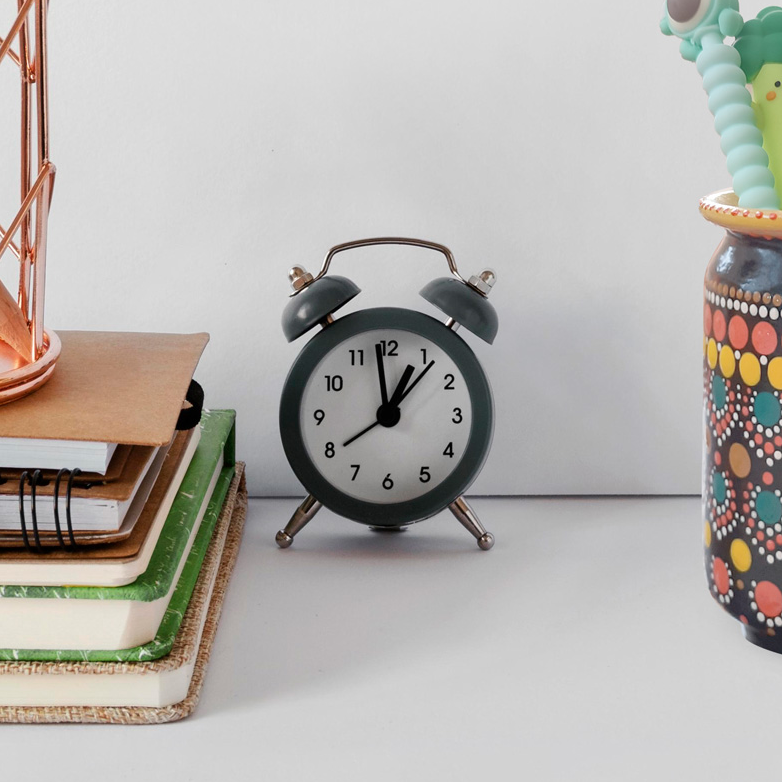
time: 12:58
